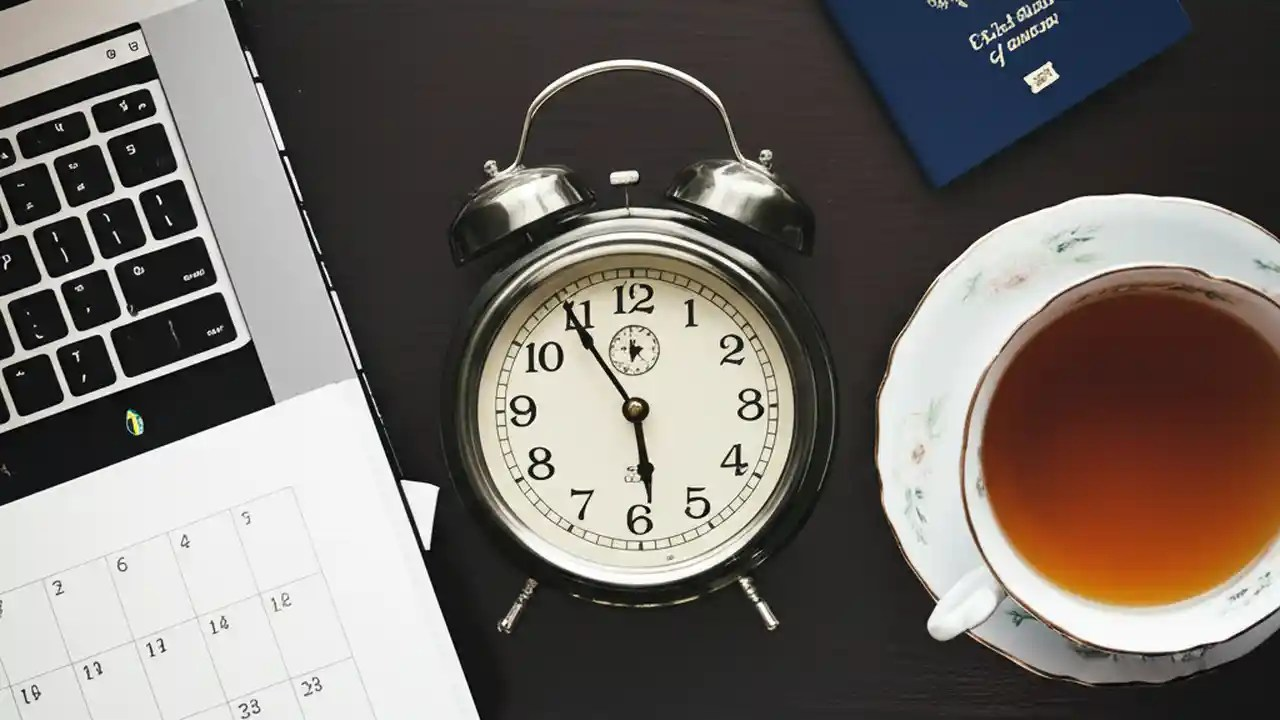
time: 5:54
